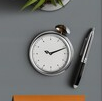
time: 9:11
